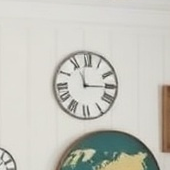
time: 11:14
